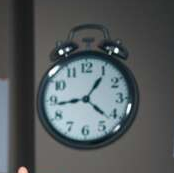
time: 1:21
